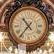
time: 10:36
